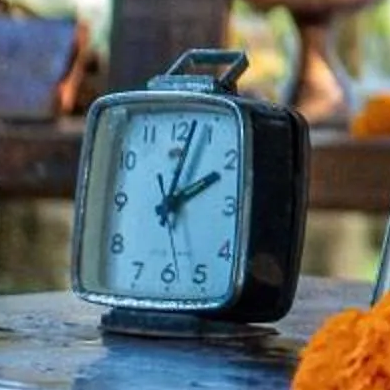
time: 2:03
